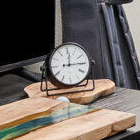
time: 12:14
